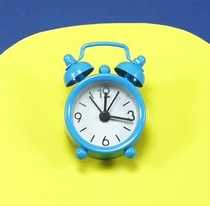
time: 12:16
